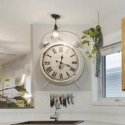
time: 6:18
